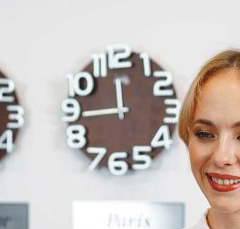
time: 11:44
